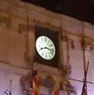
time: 8:16
